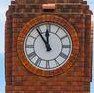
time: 11:54
